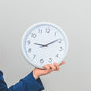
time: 9:09
